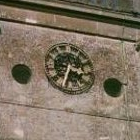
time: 3:34
